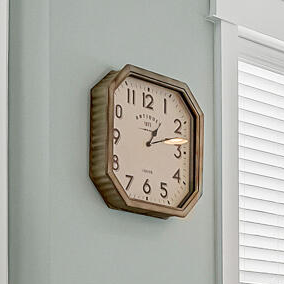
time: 1:12
